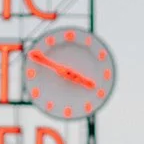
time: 3:49
